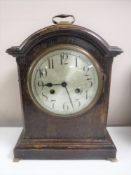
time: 8:45
